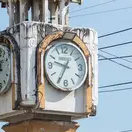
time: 9:34
